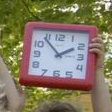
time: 1:53
